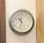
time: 10:32
